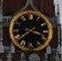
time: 3:38
